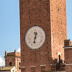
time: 12:32
